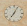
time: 7:04
